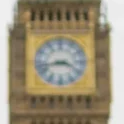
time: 3:42
